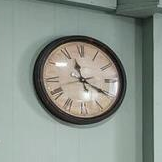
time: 11:19
